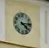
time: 4:14
